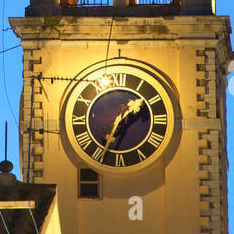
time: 1:34
